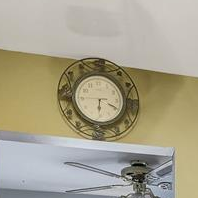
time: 6:18
